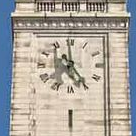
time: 4:59
